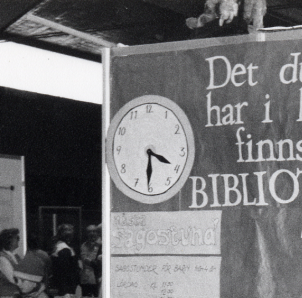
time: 3:31
